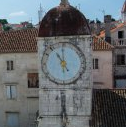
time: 11:00
